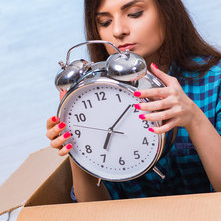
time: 7:08
